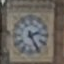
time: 2:25
